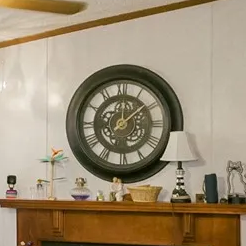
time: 12:08
